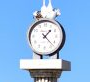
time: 1:22
